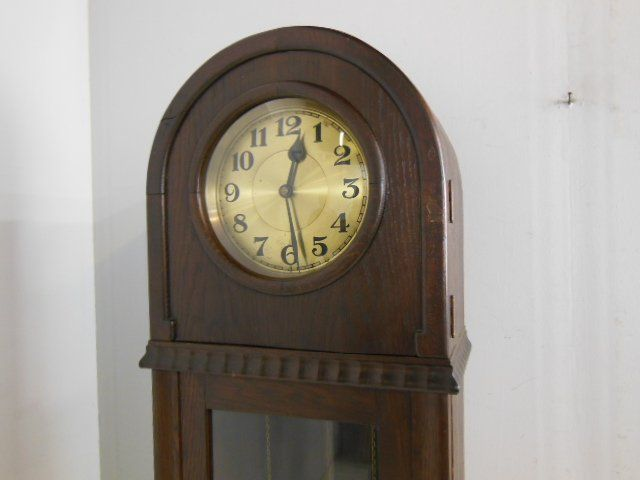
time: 12:28
